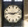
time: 9:12
